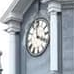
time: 3:58
